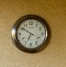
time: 6:50
